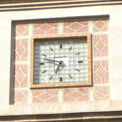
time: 6:47
